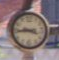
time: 3:44
